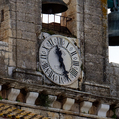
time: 11:26
